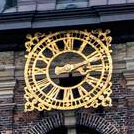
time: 3:10
